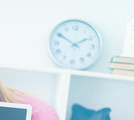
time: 1:50
